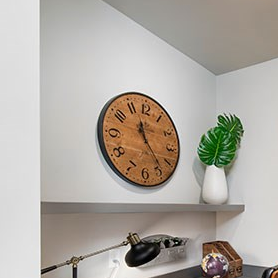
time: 11:23
